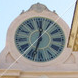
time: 12:33
